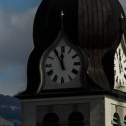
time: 11:55
